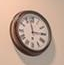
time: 2:58
